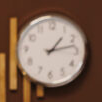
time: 1:12
